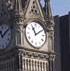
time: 11:09
